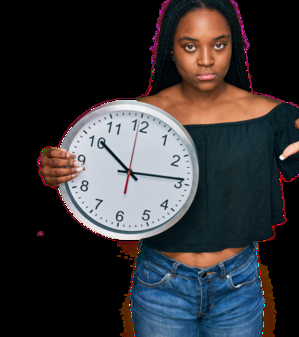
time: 10:13
